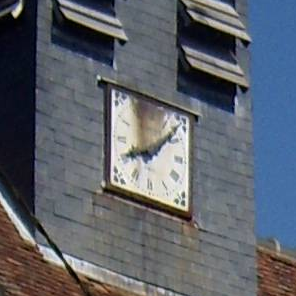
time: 8:07
